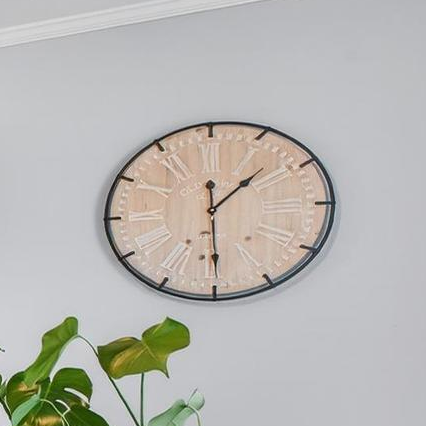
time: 1:29
